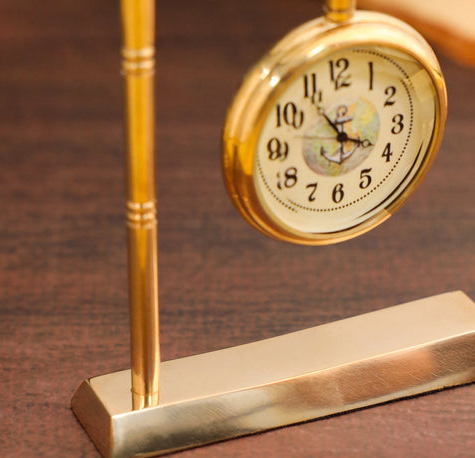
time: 3:54
